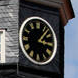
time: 3:07
